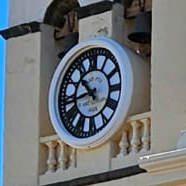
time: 10:42
